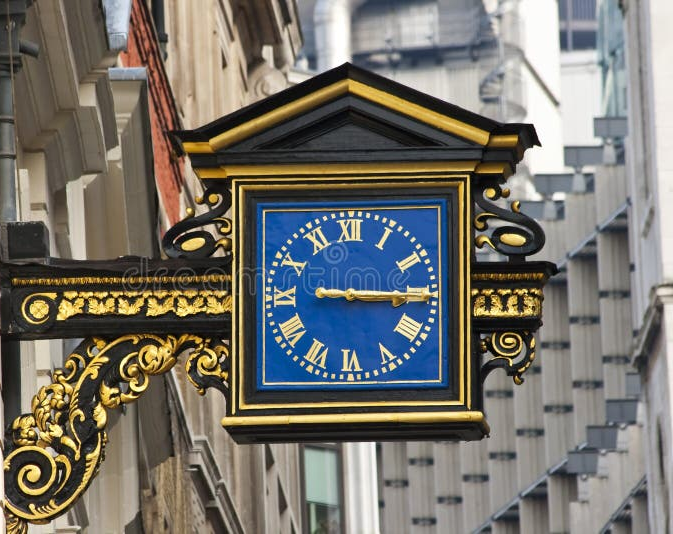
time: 3:15
